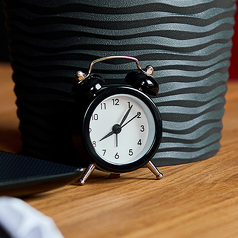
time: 8:06
